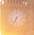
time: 6:34
